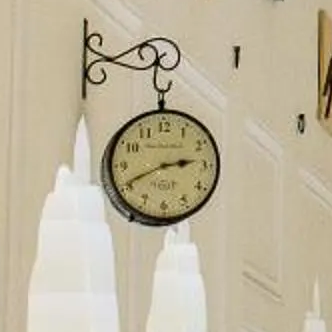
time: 2:40
